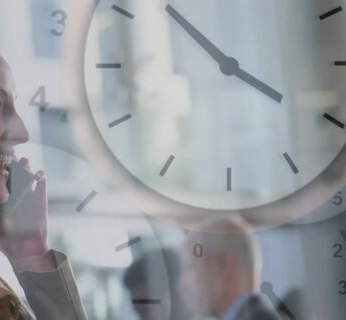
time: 3:52
